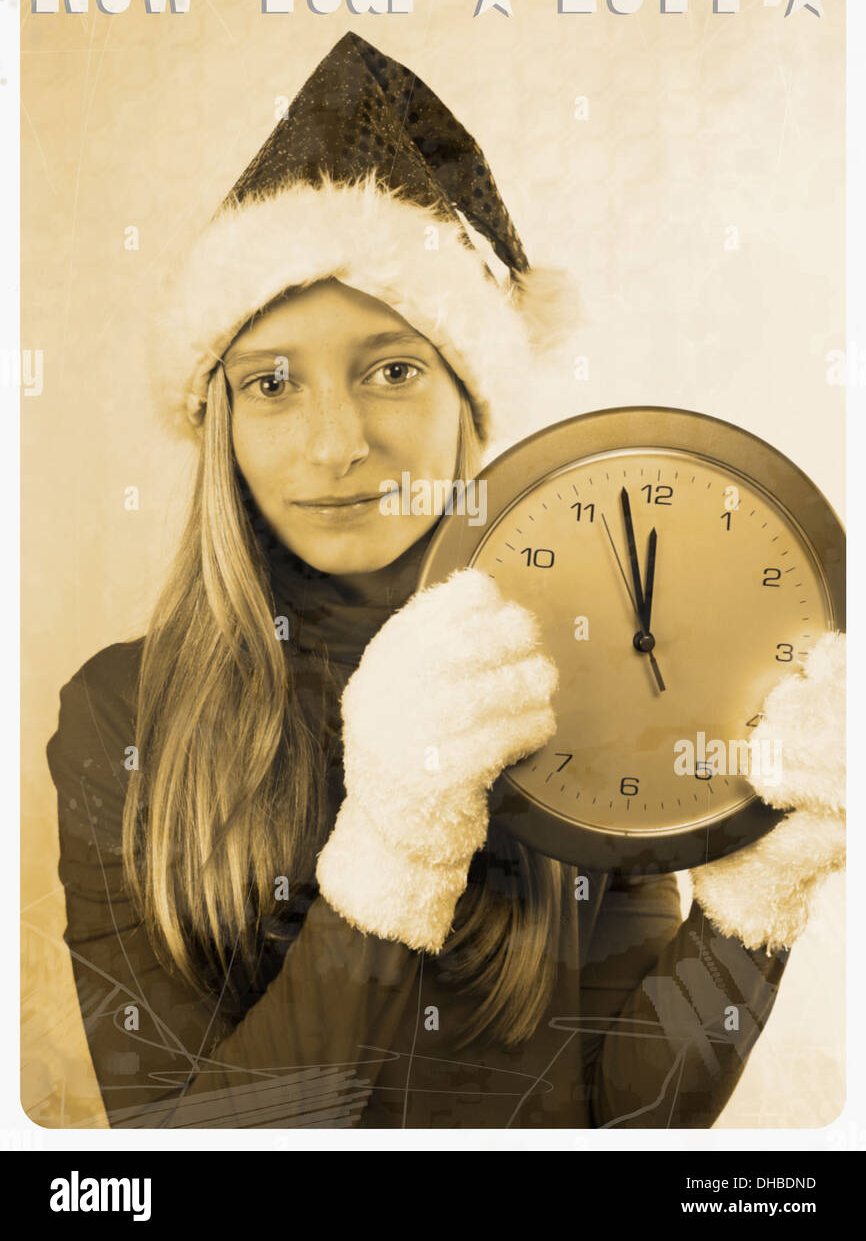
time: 11:57
